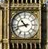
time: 10:42
